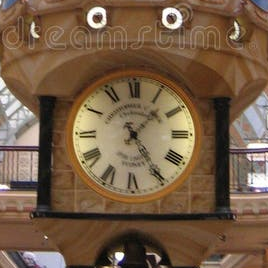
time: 1:24
